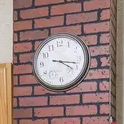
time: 4:17
